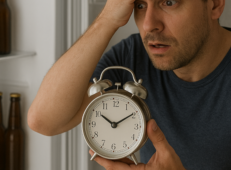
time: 10:09
